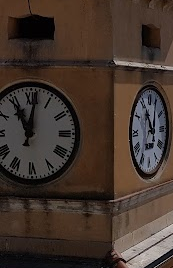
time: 11:01
